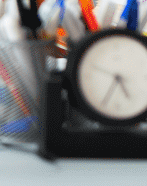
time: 4:34
